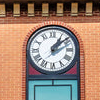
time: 1:08
